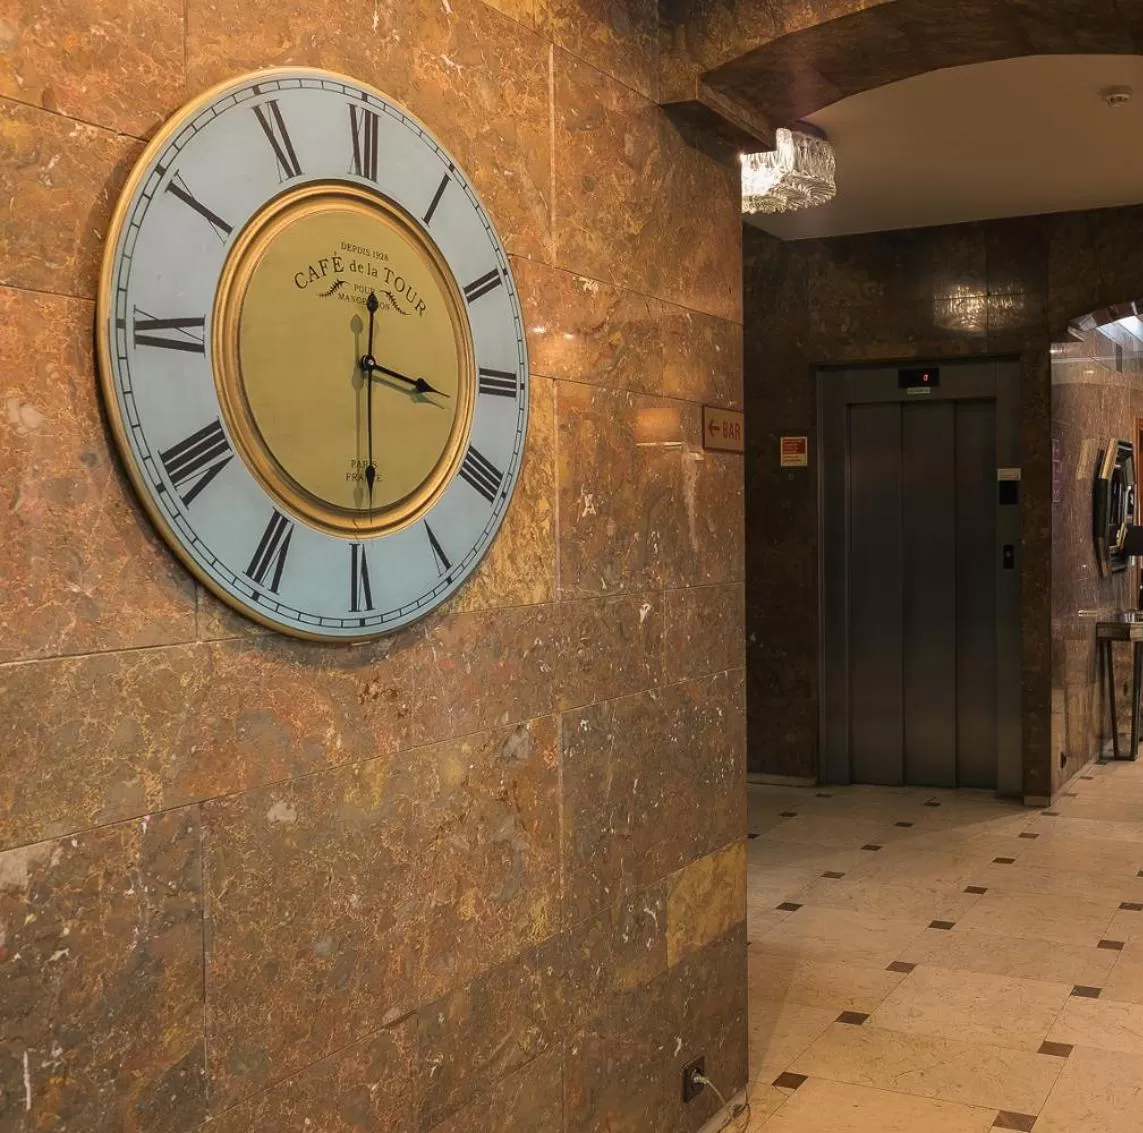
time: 3:29
